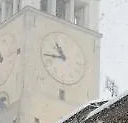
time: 10:45
